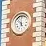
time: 5:51
